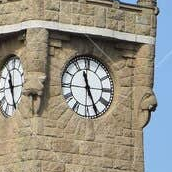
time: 11:25
